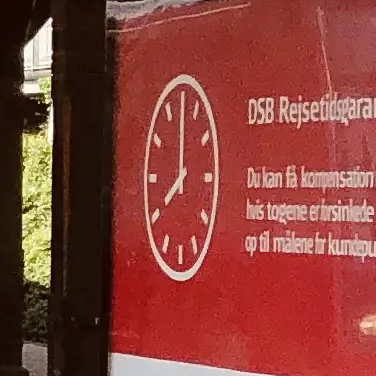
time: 8:00
